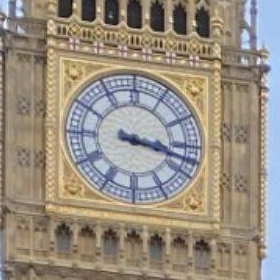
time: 3:17
